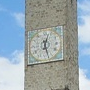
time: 12:27
